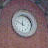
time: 11:48
